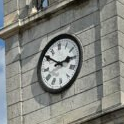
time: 2:50
